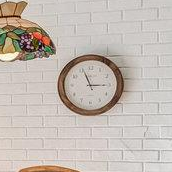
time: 2:56
